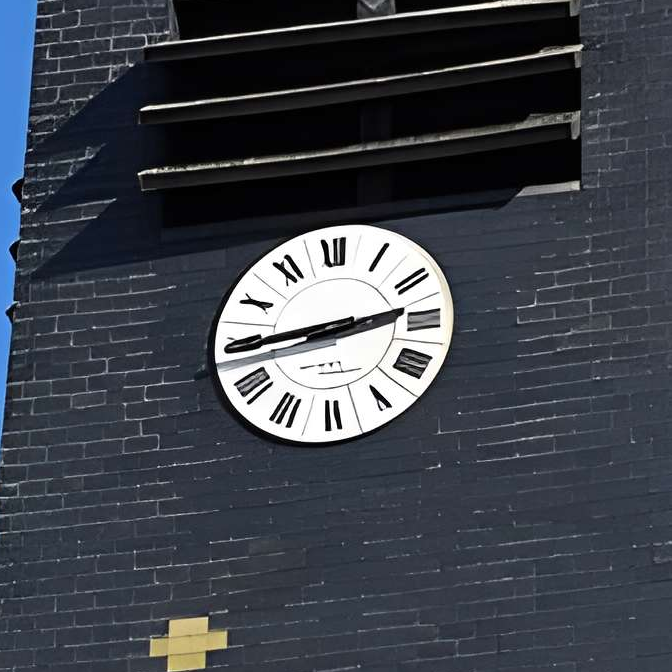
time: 2:44
